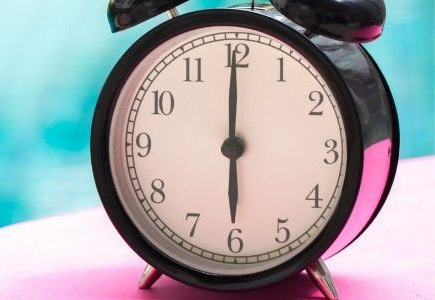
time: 6:00
